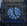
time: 4:59
